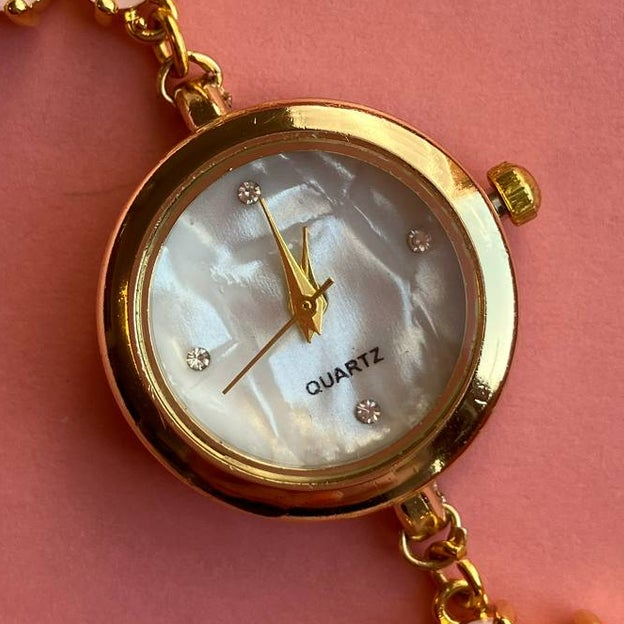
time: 11:55
